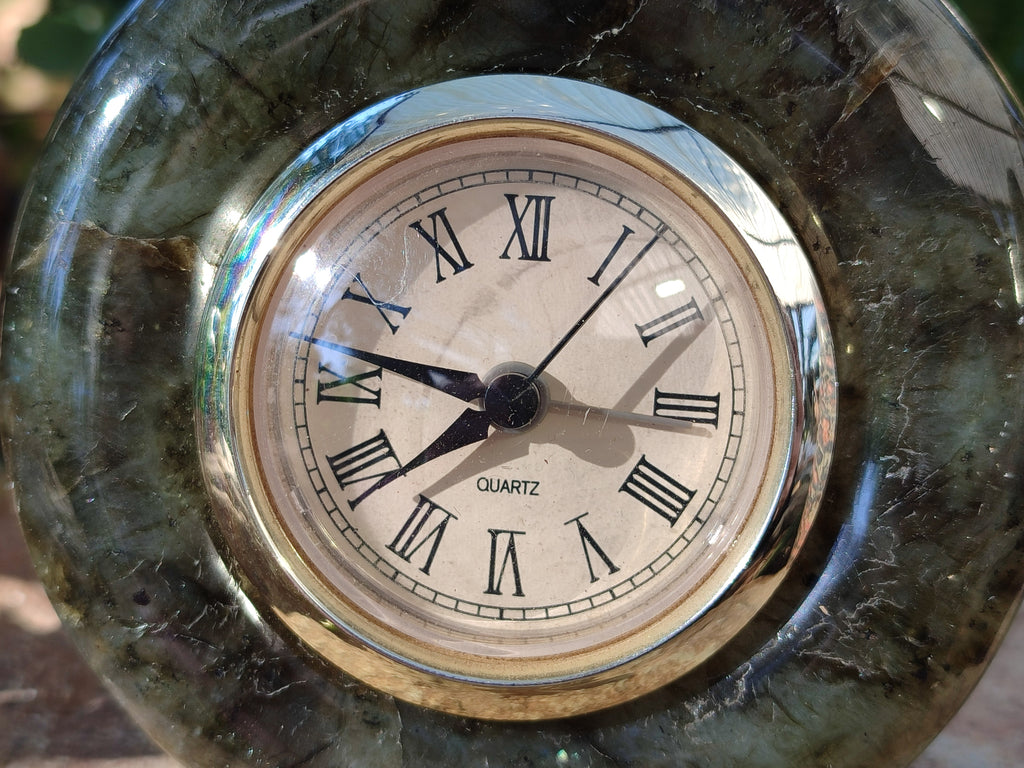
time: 7:46
